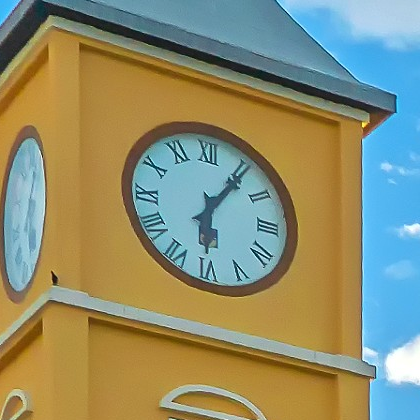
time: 6:06
